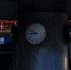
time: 8:49
